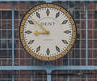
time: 8:51
